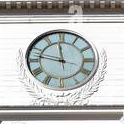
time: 11:46
